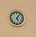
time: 5:05
